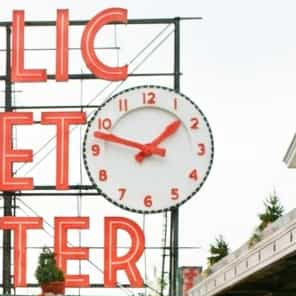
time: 1:47
